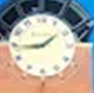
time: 1:43
